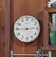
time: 2:45
